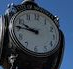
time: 9:45
